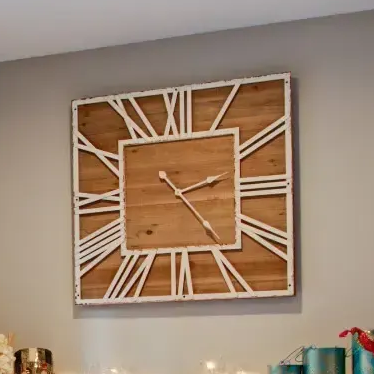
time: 2:23
